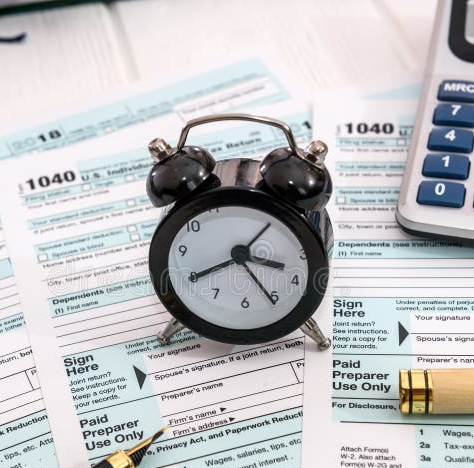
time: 3:40
